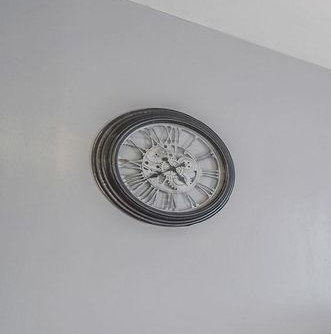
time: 4:38
